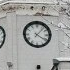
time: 4:06
